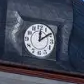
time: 12:09
